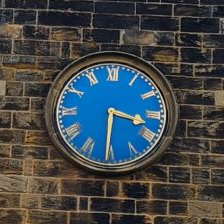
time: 3:30
